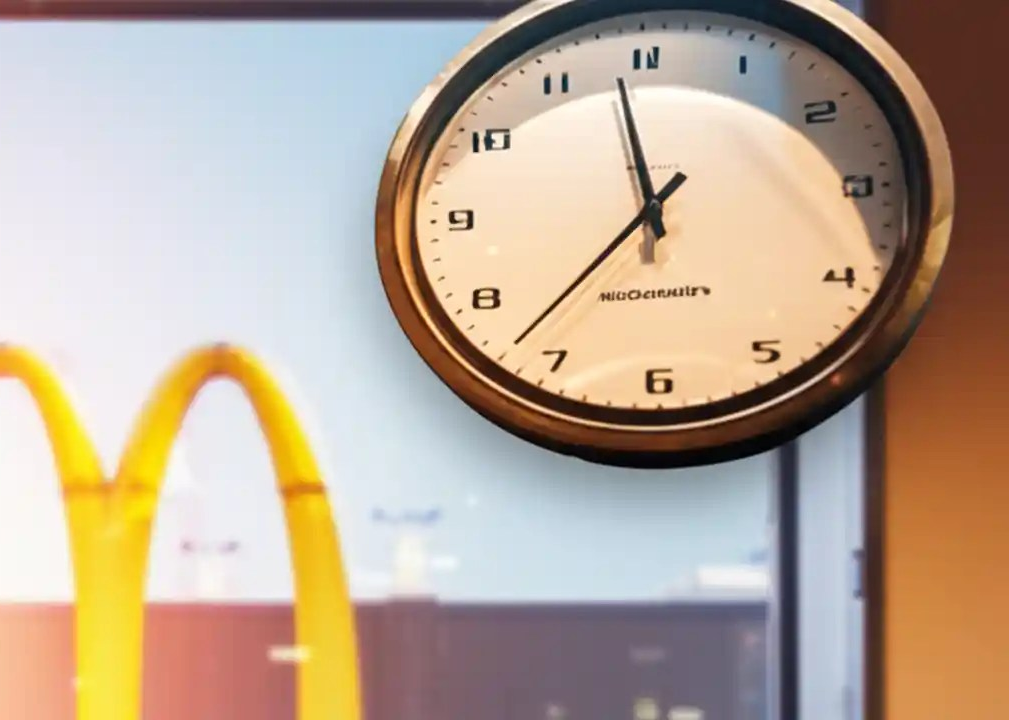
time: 11:37
